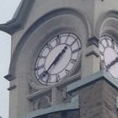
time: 1:38
